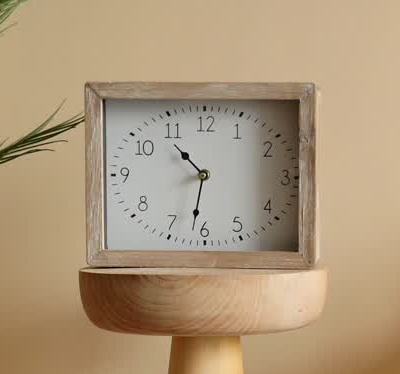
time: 10:31
